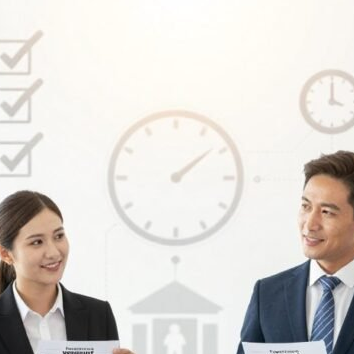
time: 1:08
